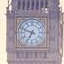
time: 6:48
